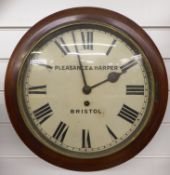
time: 1:57
